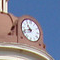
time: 10:42
